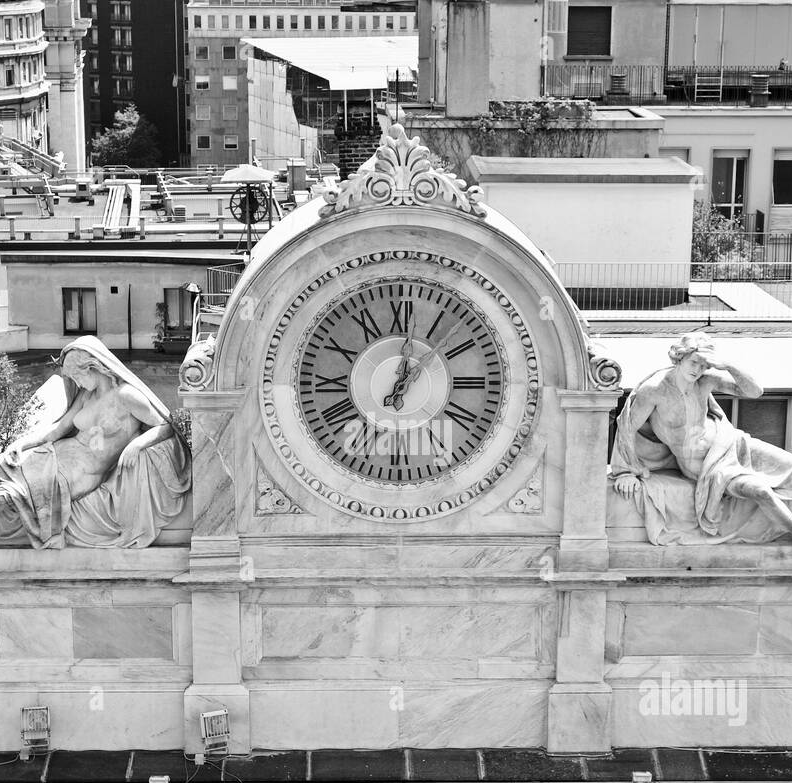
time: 1:01
